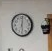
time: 6:01
